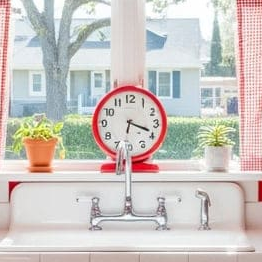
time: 6:18
